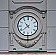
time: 10:38
